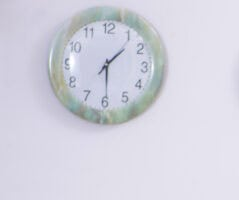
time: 1:29
